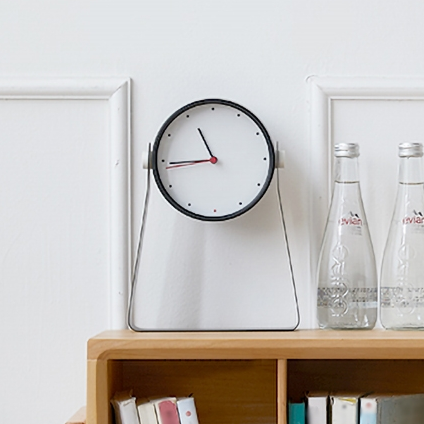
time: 10:44
